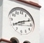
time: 8:11
